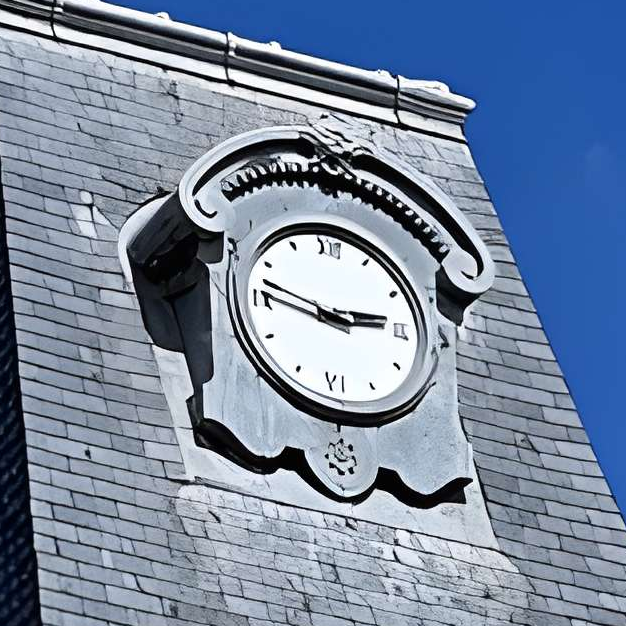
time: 2:46
